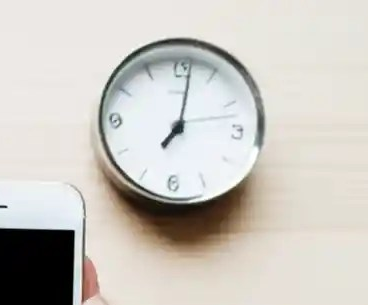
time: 7:01
